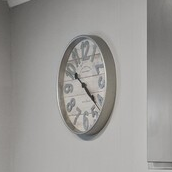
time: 10:21
